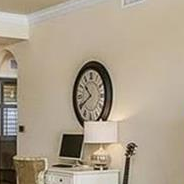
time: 10:39
